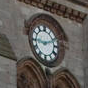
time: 9:11
